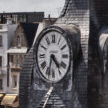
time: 4:33
